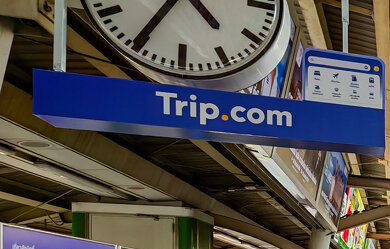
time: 4:35
